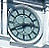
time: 2:40
